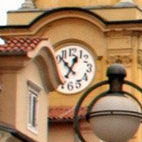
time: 12:52
